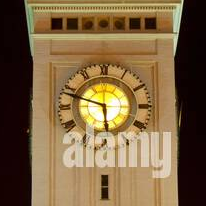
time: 5:48
